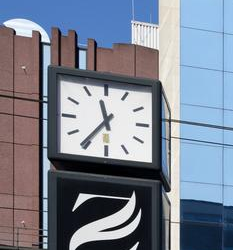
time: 11:35
